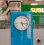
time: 5:16
